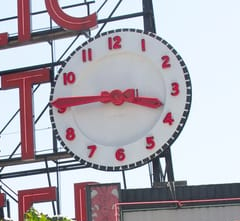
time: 3:45
